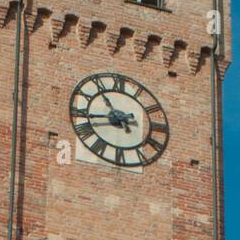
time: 10:43
